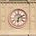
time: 6:10
